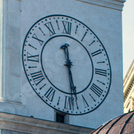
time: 11:28
